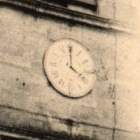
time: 4:00
